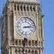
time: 3:12
